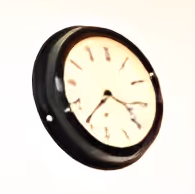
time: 3:35
